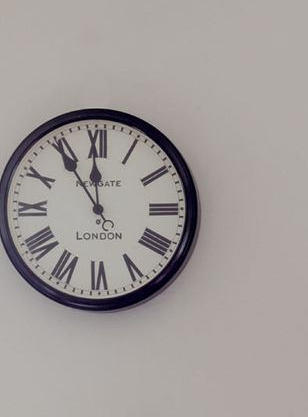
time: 11:54
